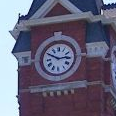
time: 2:49
